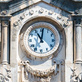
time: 11:01
